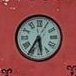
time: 5:35
